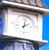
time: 2:02
